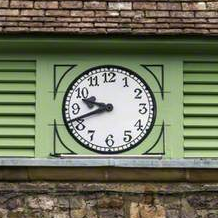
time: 9:41
